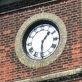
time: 1:30
